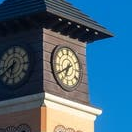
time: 6:39
